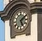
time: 5:08
